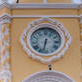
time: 6:32
